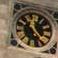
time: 11:23
